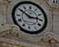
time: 2:50
